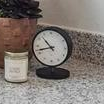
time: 10:42
